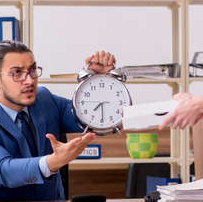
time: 7:29
